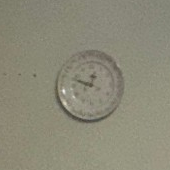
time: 12:48
